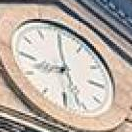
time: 8:27
